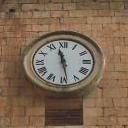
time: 11:28
